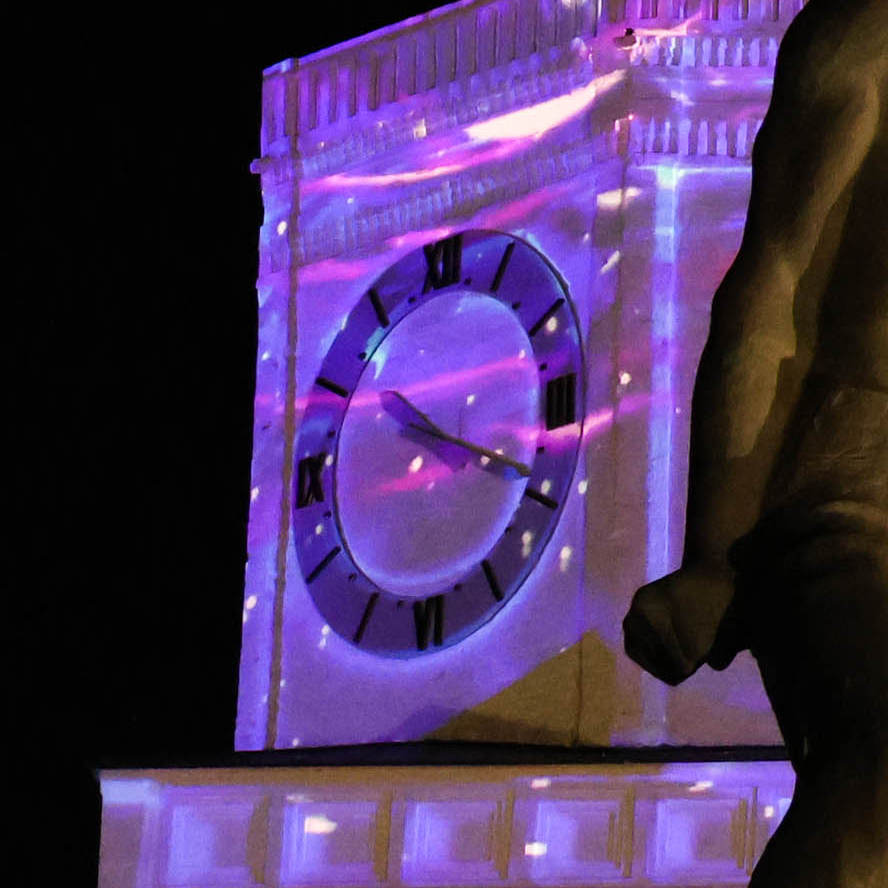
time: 10:18
